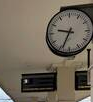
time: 9:34
